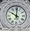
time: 10:00
